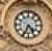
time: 4:34
